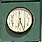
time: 6:25
